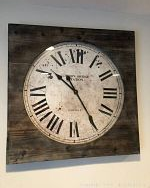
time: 10:24
